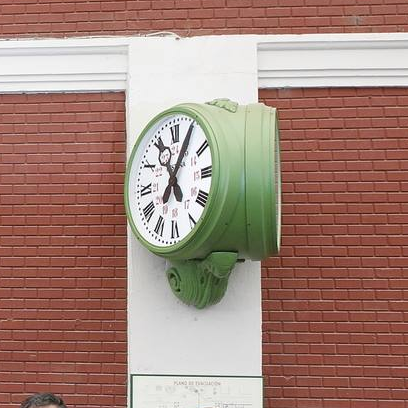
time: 11:05
